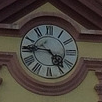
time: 4:45
